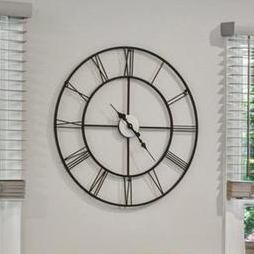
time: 4:44
